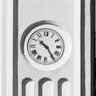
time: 10:24
